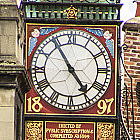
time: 4:54
